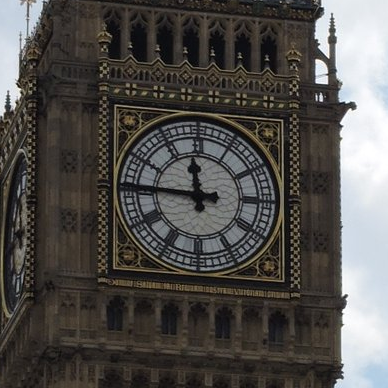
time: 11:45
